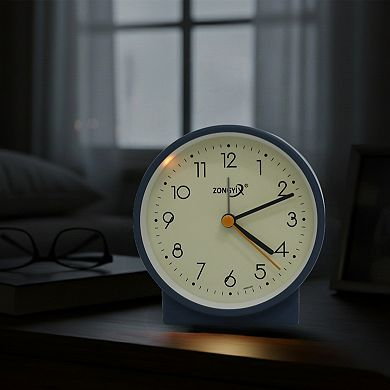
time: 4:11
